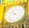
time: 10:47
